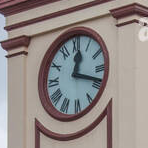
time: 12:18
